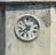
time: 7:53
